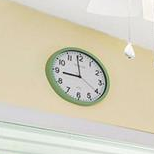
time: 8:58
